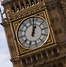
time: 1:02
